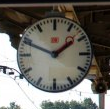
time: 1:49
